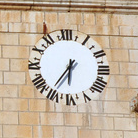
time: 6:36
